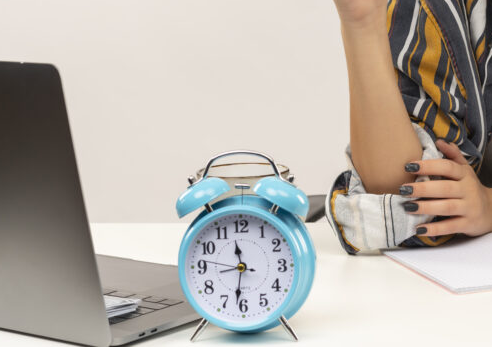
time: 11:31
